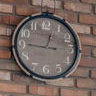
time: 12:45
